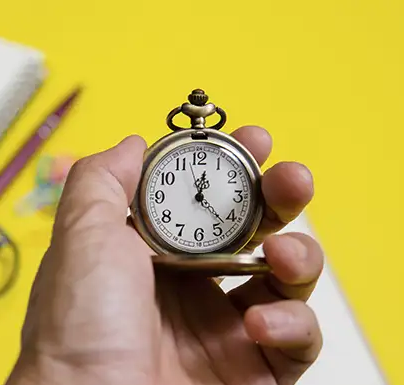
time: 12:22
